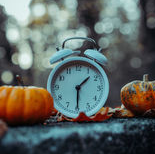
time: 1:30
